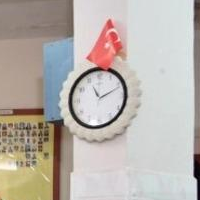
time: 11:11
